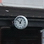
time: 12:52
